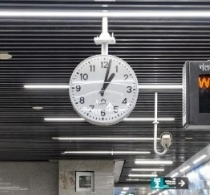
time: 1:02
